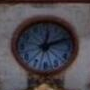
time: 12:11
